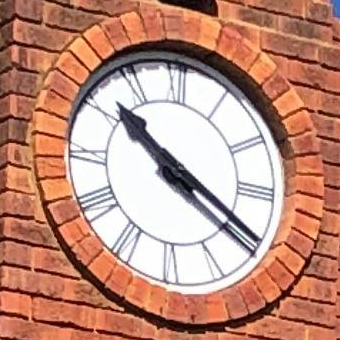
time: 10:19
